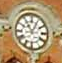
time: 11:04
